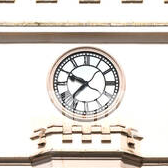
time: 9:37
